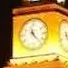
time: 11:23
